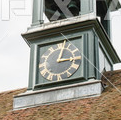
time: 3:02
